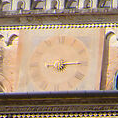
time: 9:14
